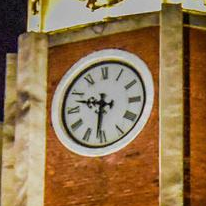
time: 9:31
